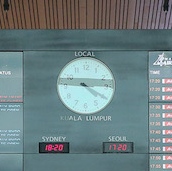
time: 4:14
